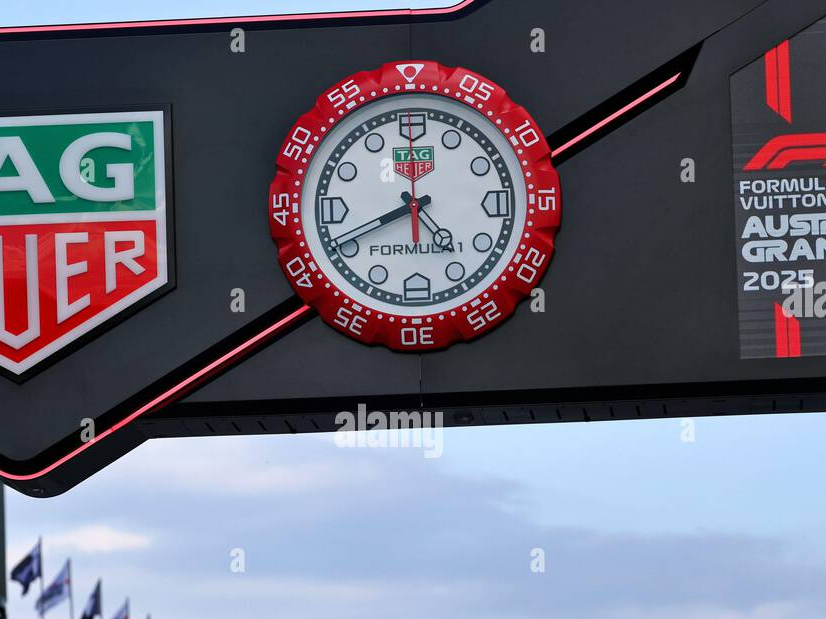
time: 4:40
